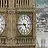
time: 4:45
